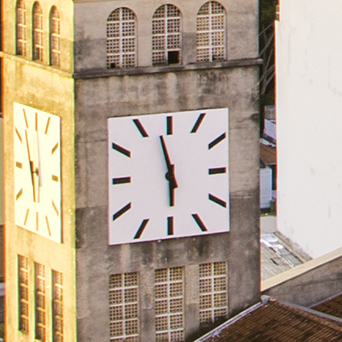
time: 5:57
